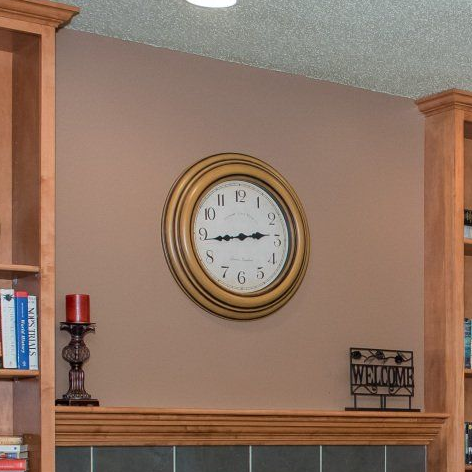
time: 2:43
